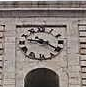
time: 9:20
